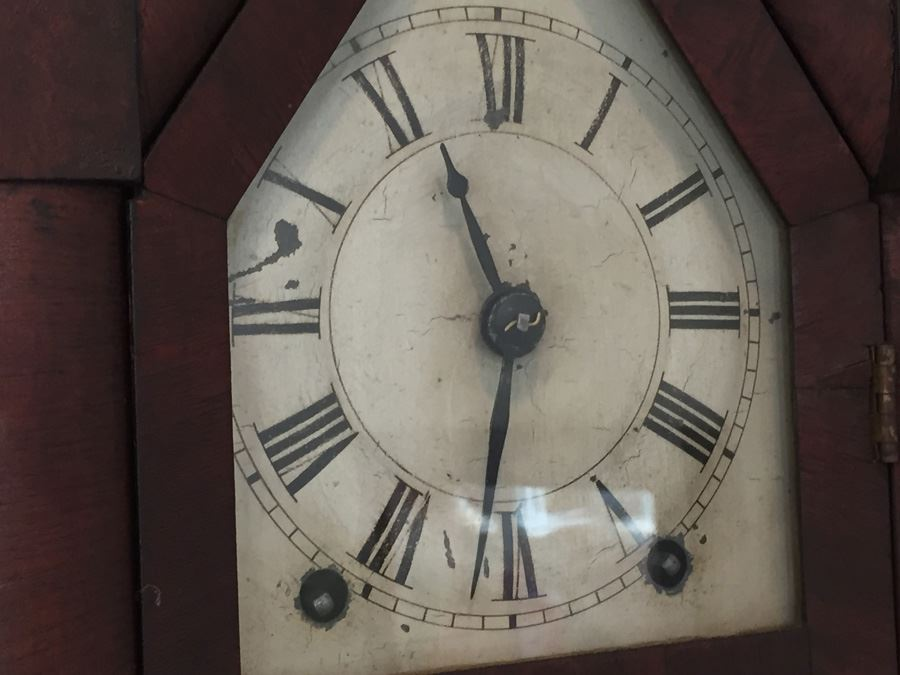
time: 11:31
